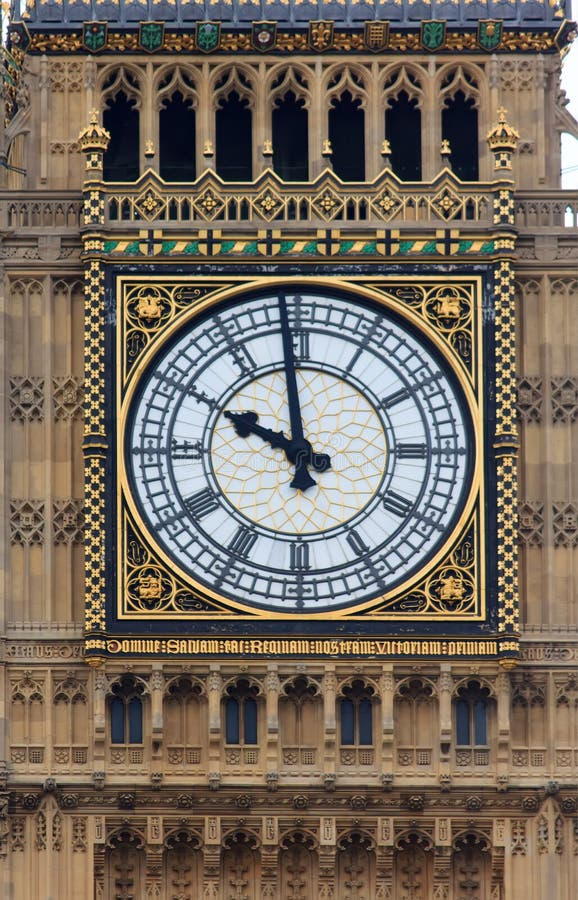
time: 9:58
